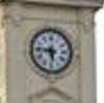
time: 5:45
